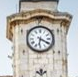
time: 6:19
